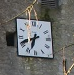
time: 6:41
